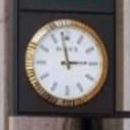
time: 2:58
